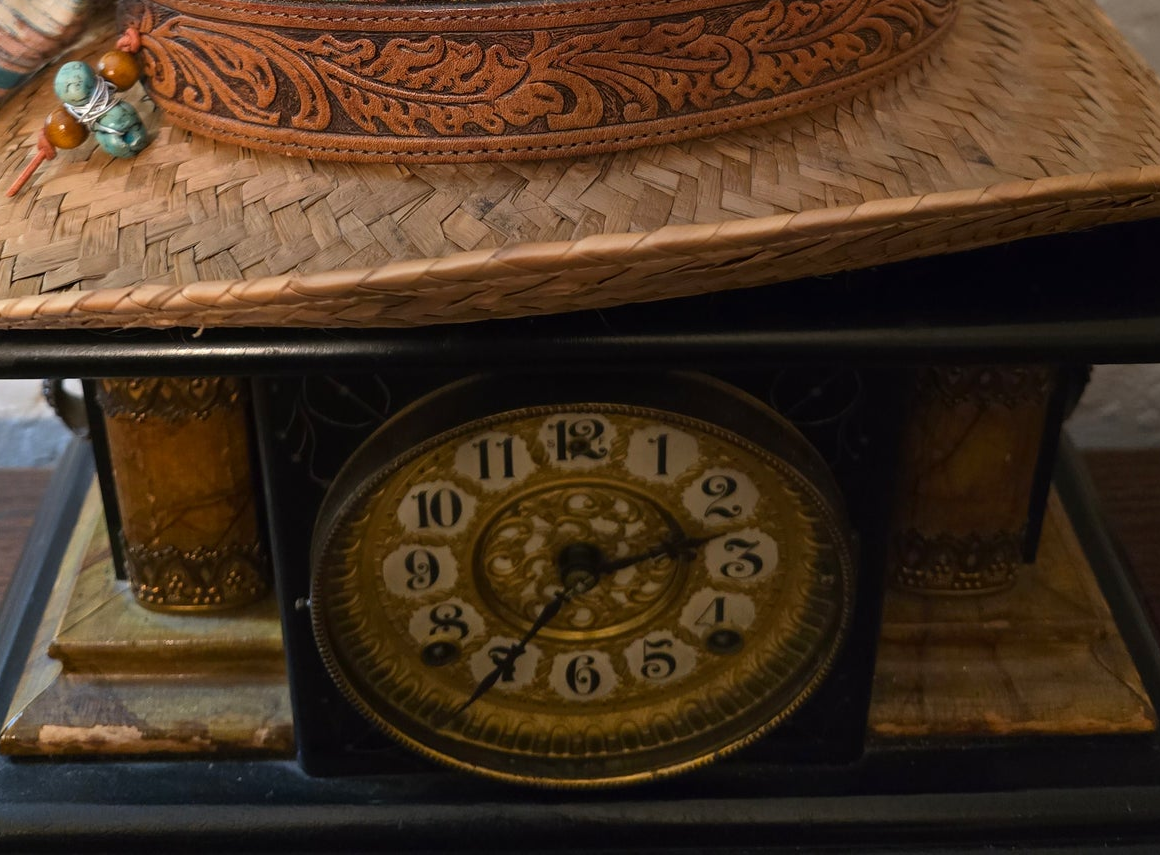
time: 2:35
